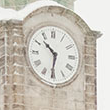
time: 10:31
